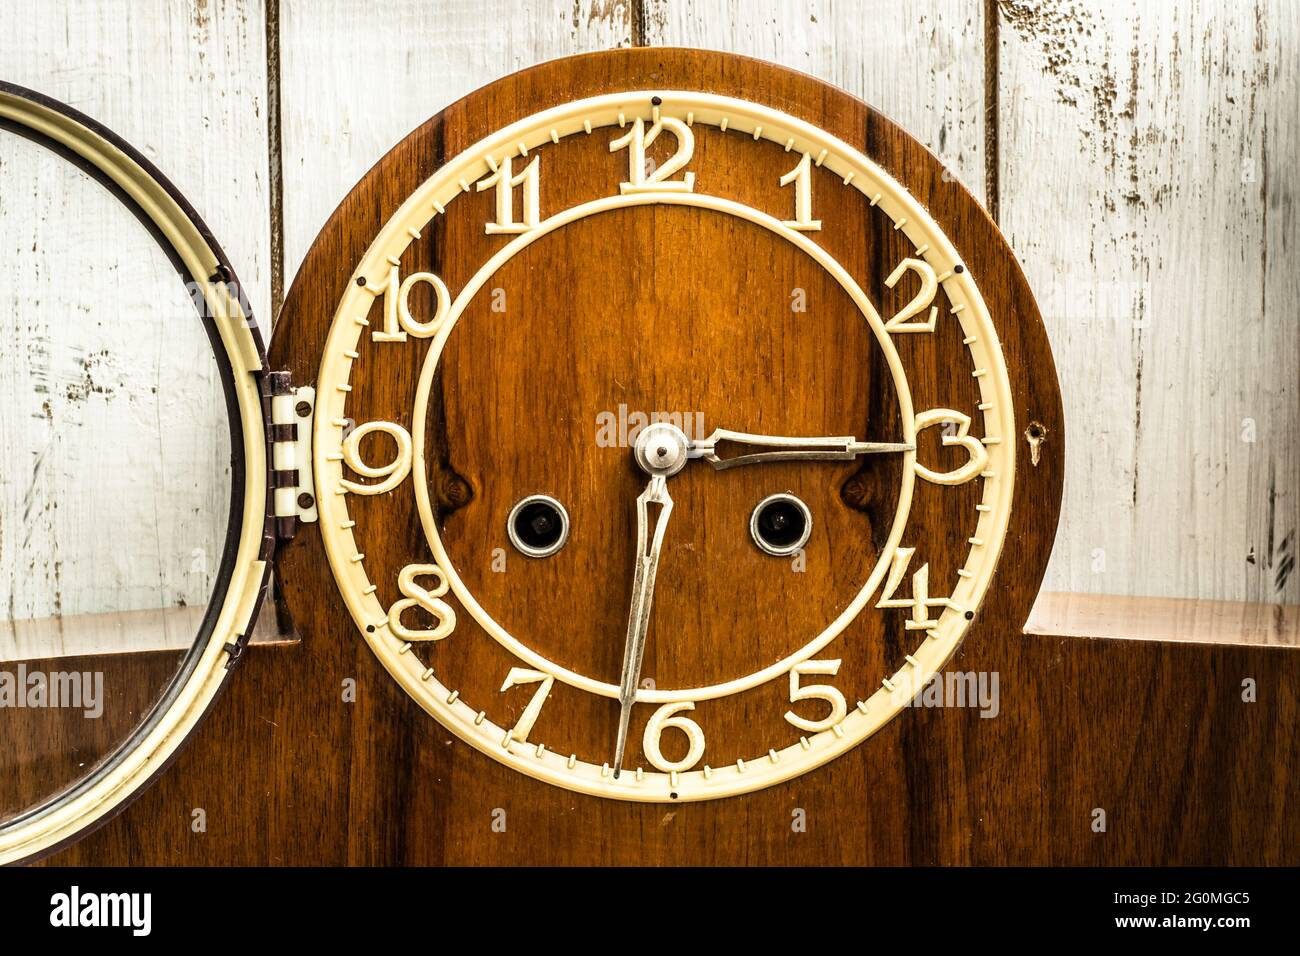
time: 6:15
